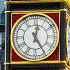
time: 12:24
